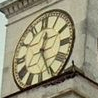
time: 12:25
